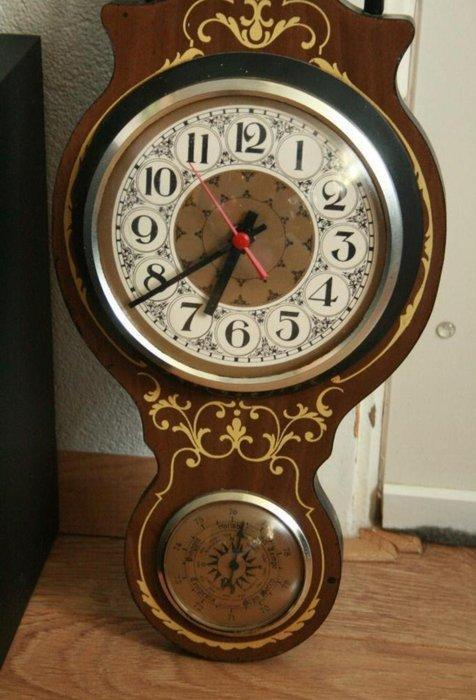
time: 6:39
